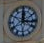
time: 12:16
